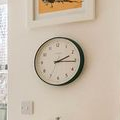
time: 2:15
